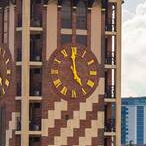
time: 4:59
